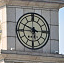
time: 5:49
